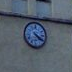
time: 4:20
